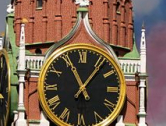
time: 11:06
